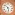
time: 5:51
